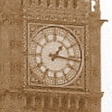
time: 1:16
